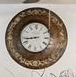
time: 8:43
